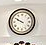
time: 9:50
